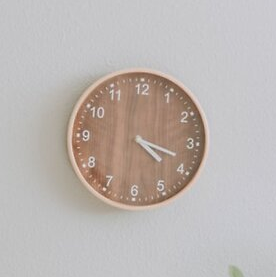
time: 4:18
